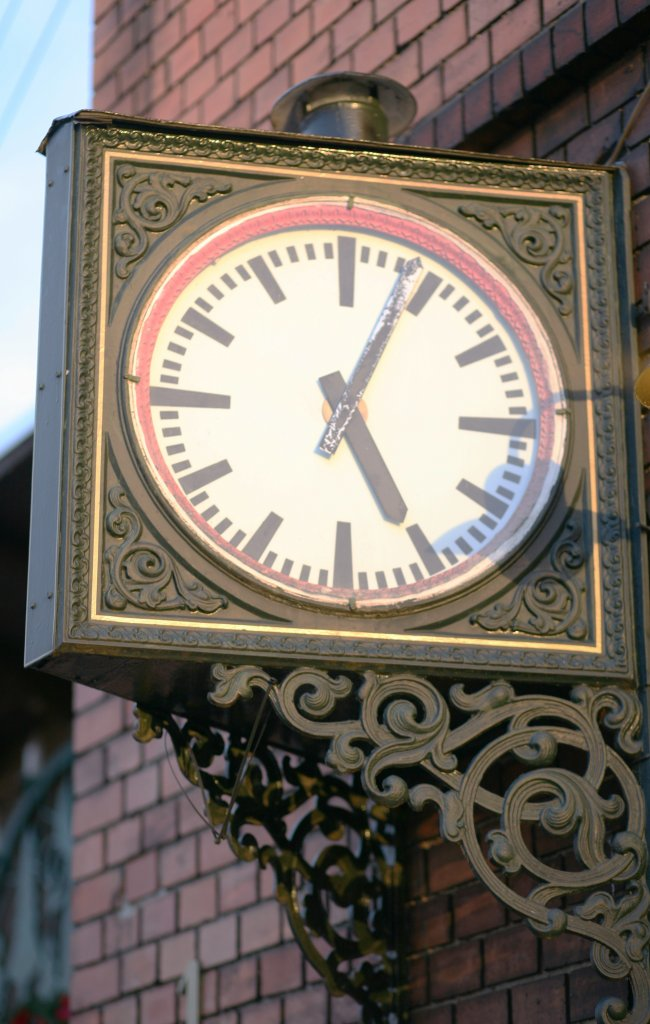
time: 5:04
